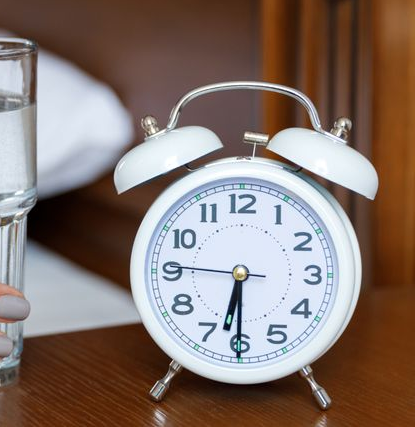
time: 6:30
